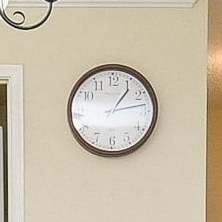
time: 1:13
